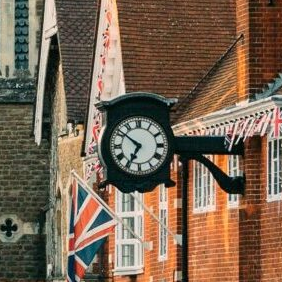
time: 6:51
